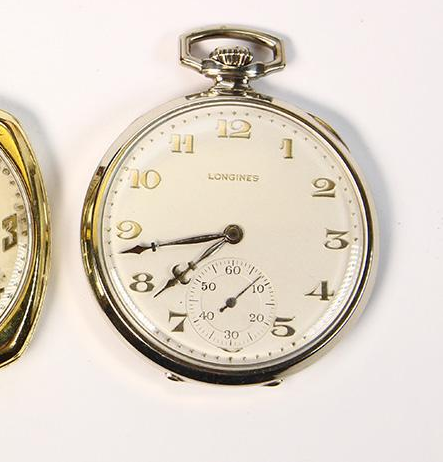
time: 7:43
